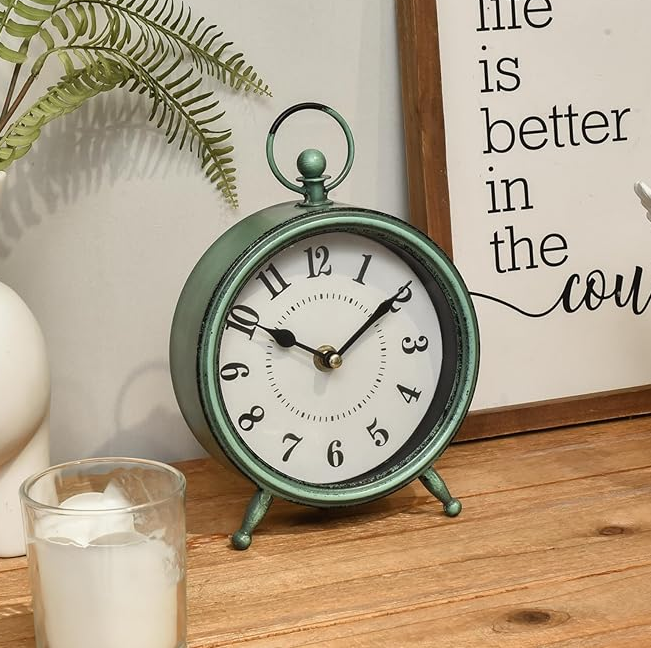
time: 10:09
